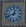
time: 12:41
